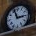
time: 2:56
